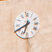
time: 6:40
